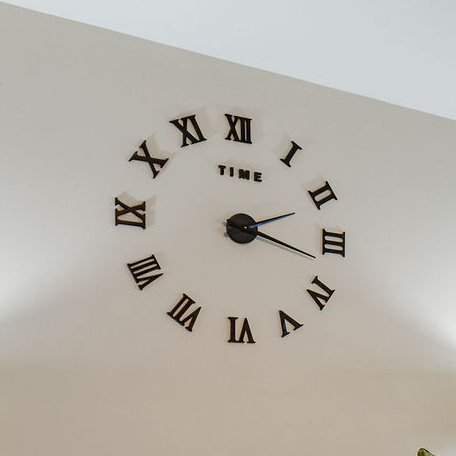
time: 2:17
